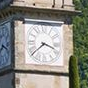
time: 3:38
